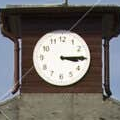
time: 3:14
